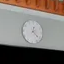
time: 12:21
